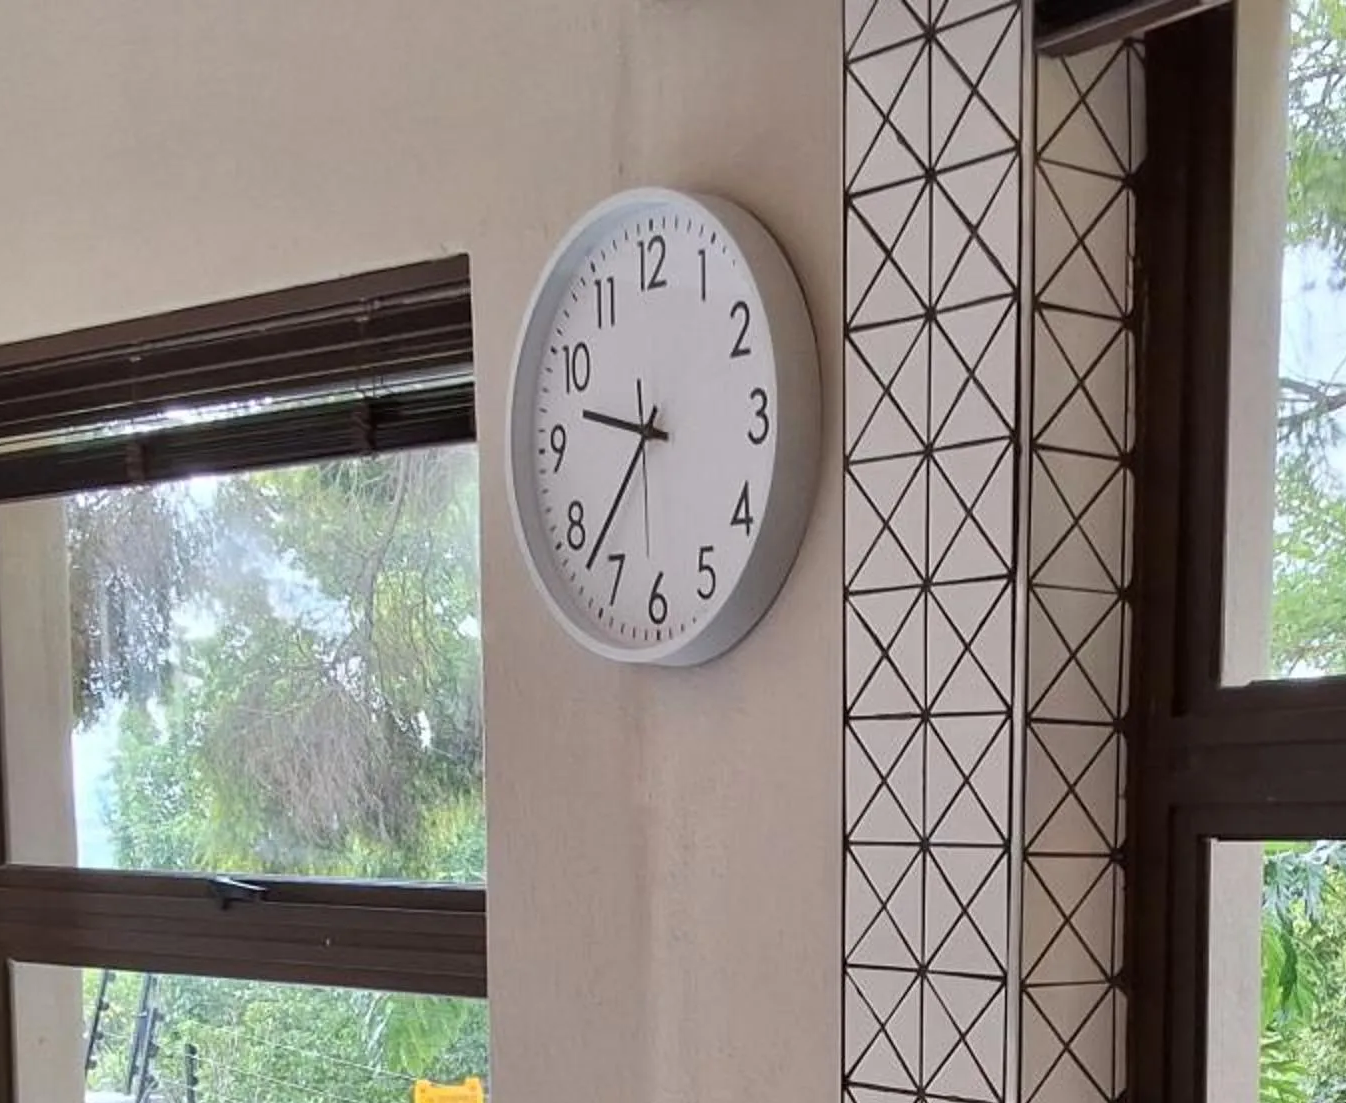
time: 9:37
